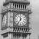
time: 11:35
